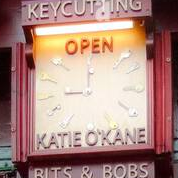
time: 8:59
